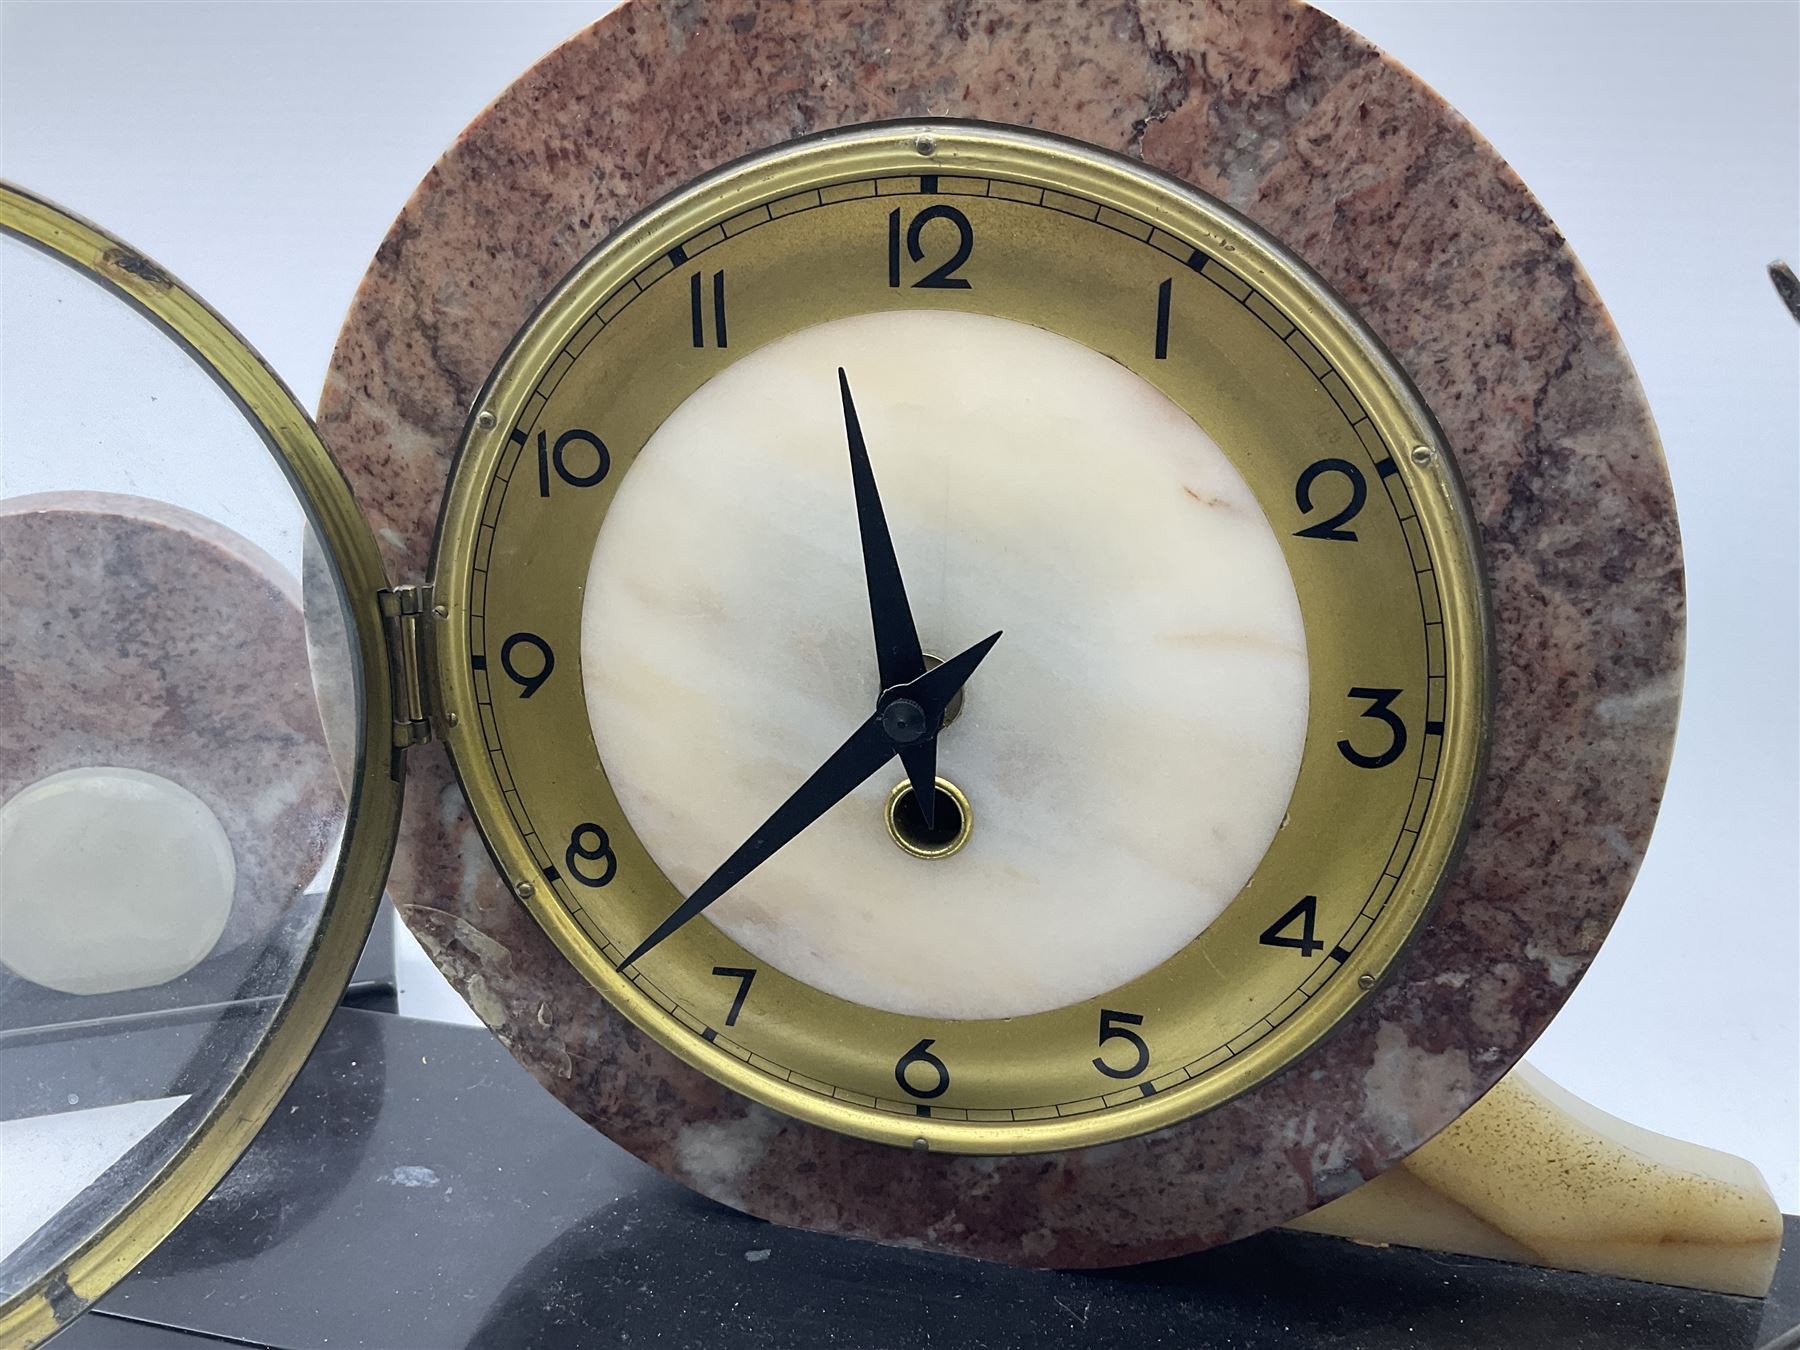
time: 11:37
